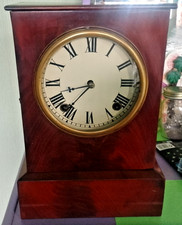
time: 8:37
